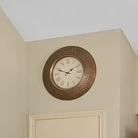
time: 1:48
